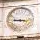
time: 9:16
